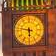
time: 5:47
